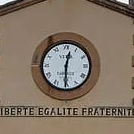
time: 12:30
